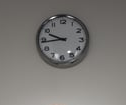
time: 9:43
